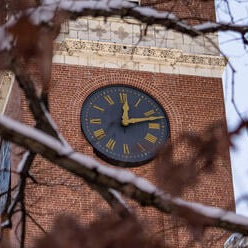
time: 12:12
